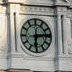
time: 6:14
